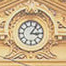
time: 3:06
